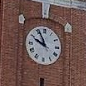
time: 9:55
